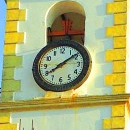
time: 8:08
